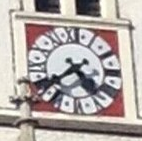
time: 4:38
